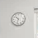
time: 10:32
